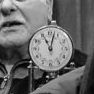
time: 11:02
